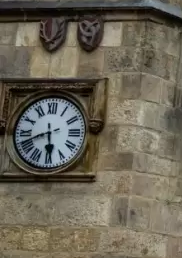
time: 5:41
